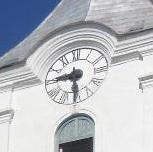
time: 5:45
